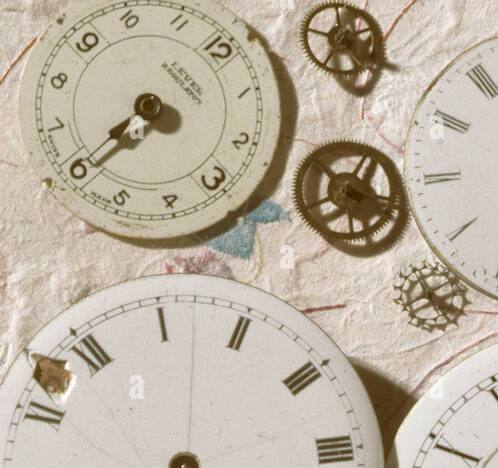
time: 7:38
